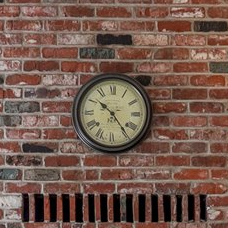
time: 10:23
